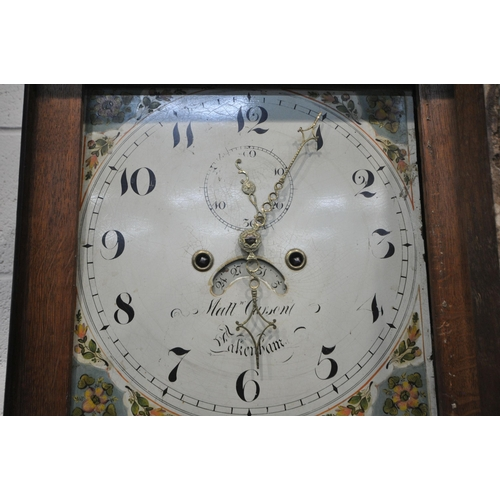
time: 8:04
